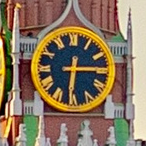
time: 6:14
